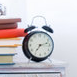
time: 7:12
